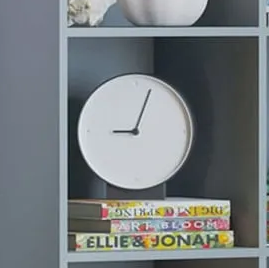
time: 9:03
